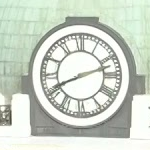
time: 8:12
